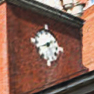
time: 1:41
